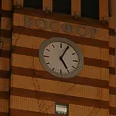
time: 5:04
